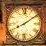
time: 8:09
